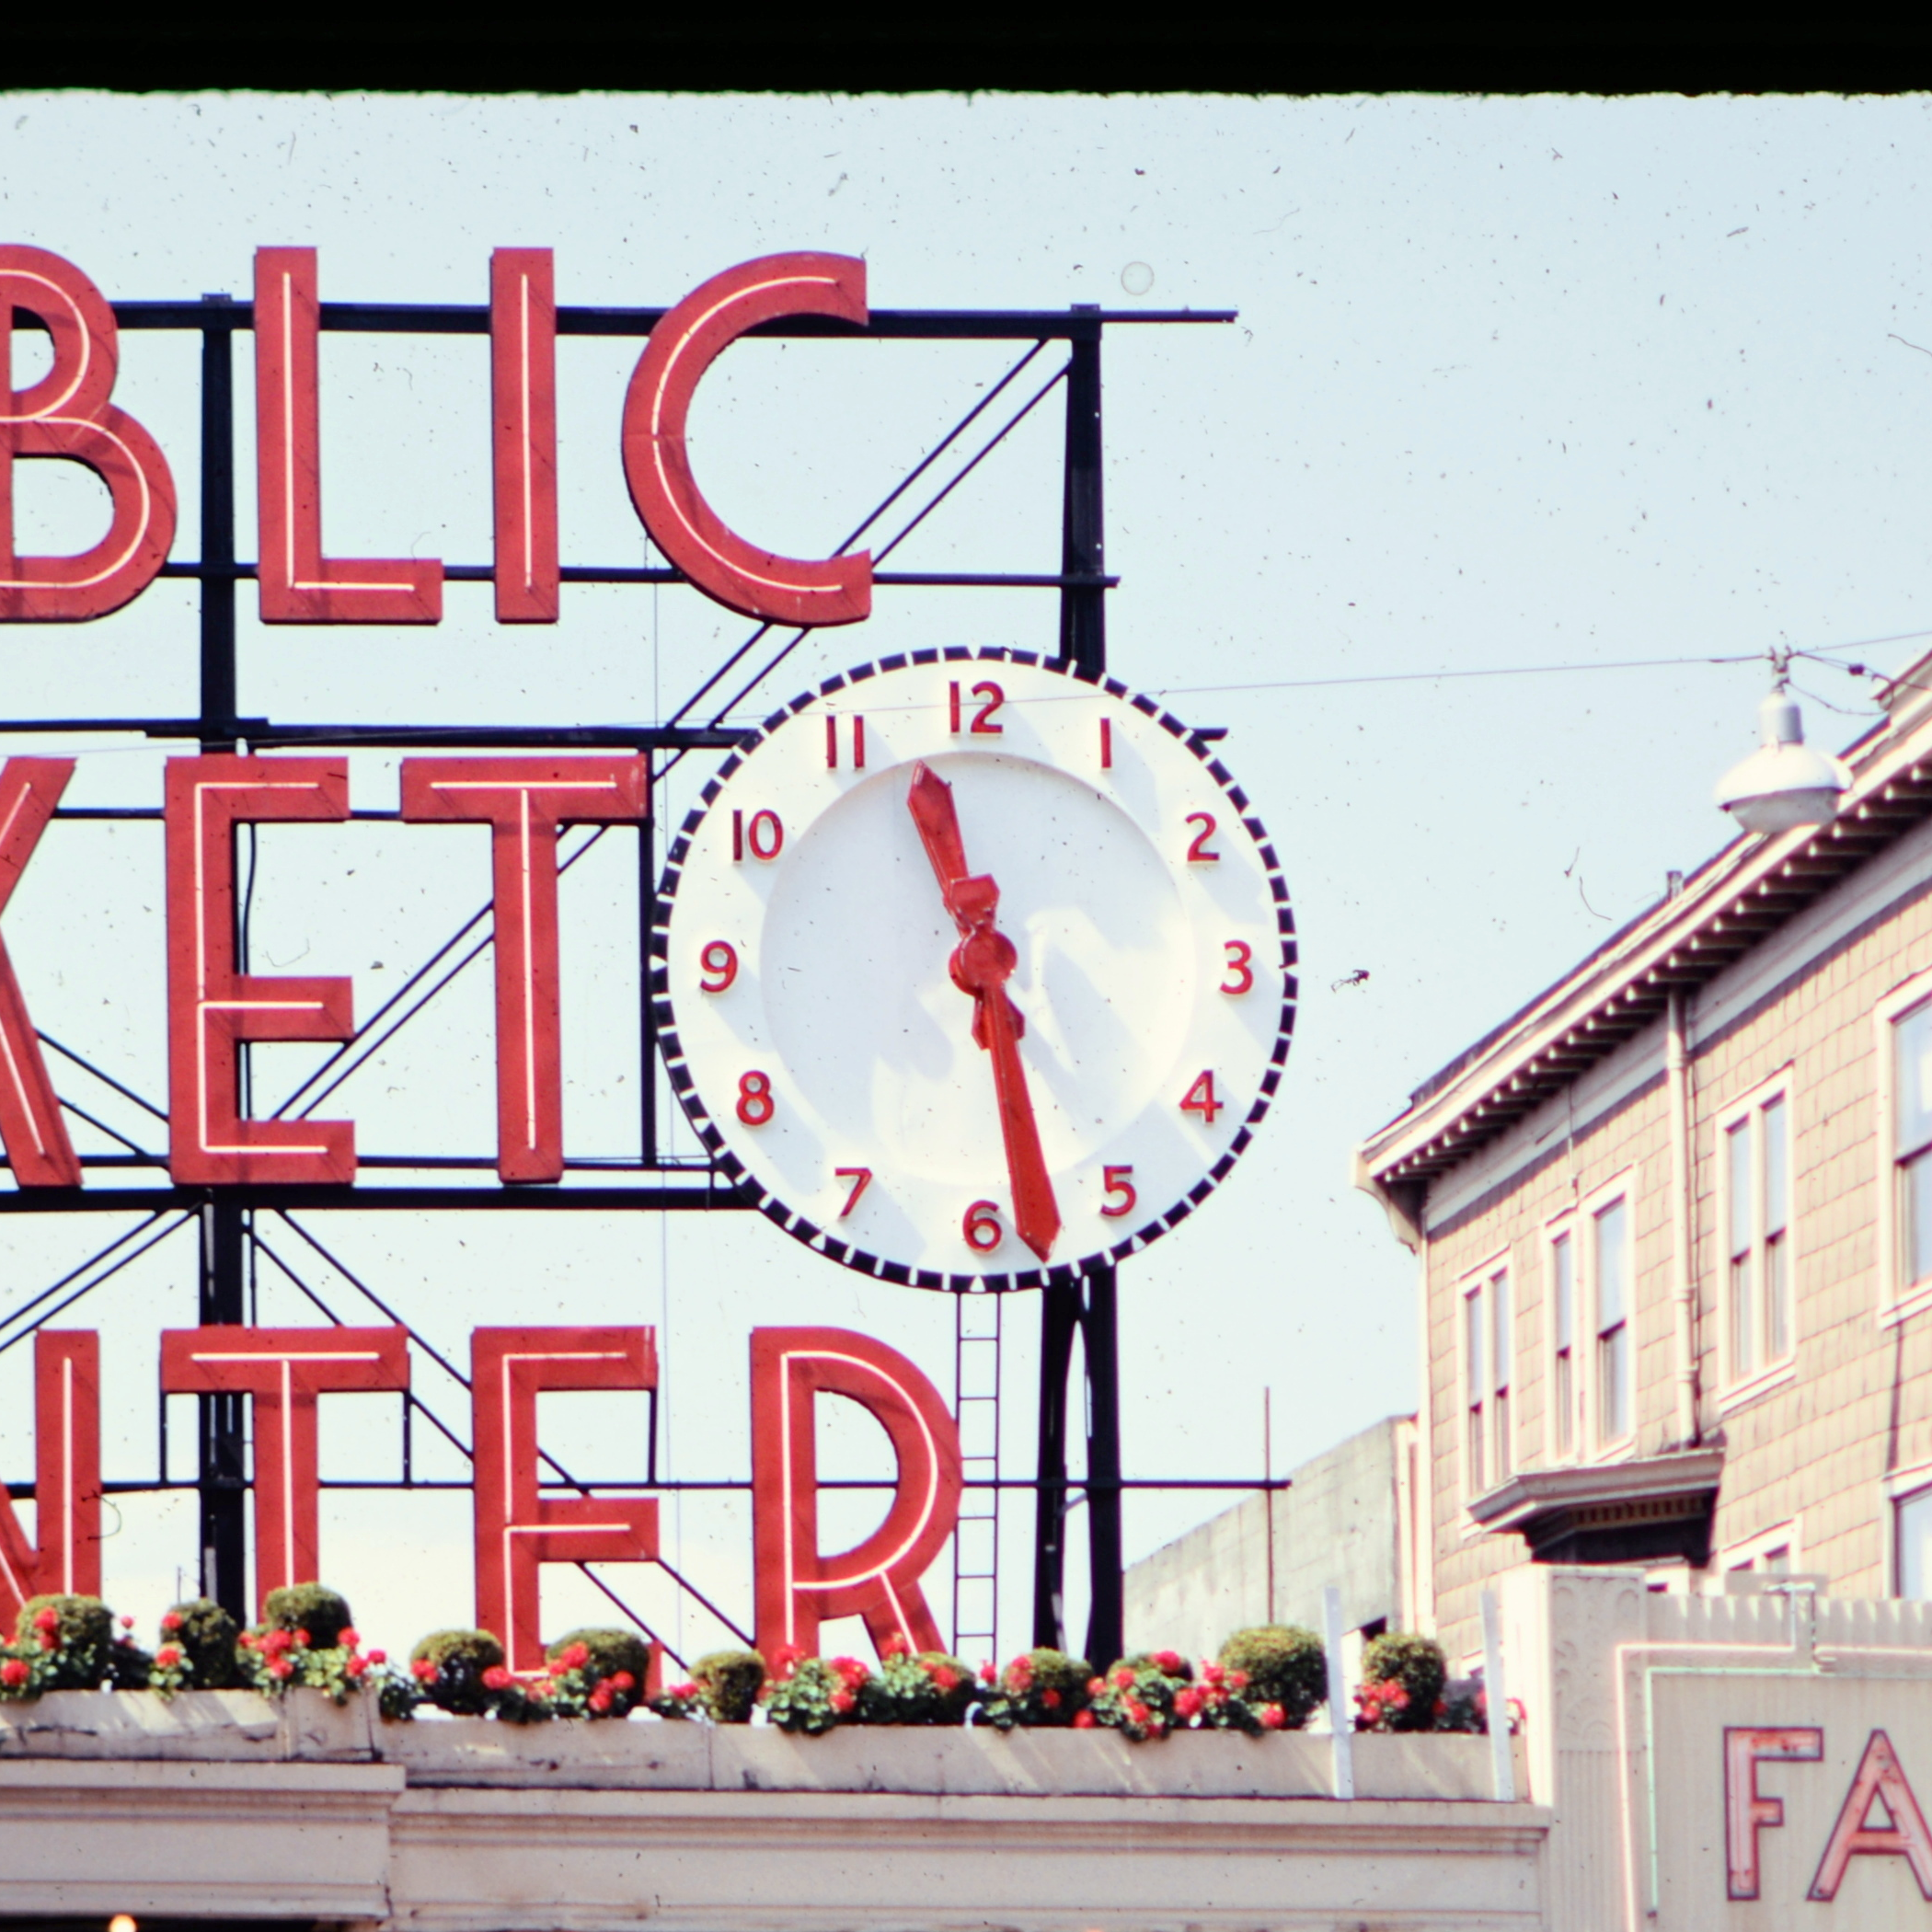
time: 11:28
